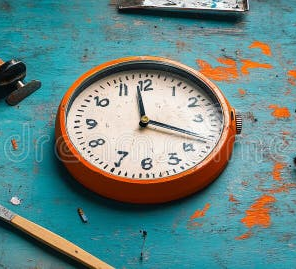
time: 3:58
